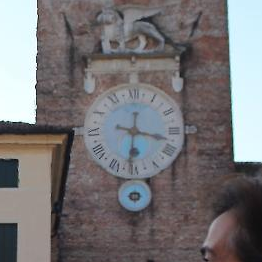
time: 6:17
